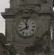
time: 11:40
